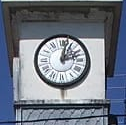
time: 2:02
